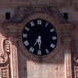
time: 6:29
